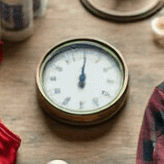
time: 12:00
